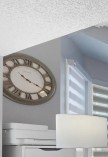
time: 4:20
